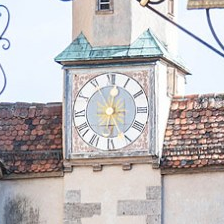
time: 12:26
